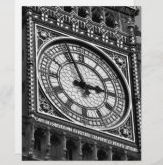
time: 2:56
